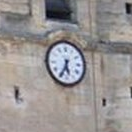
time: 5:34
